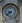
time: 9:38
